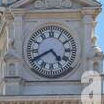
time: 4:40
